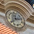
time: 2:39
